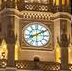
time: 8:09
